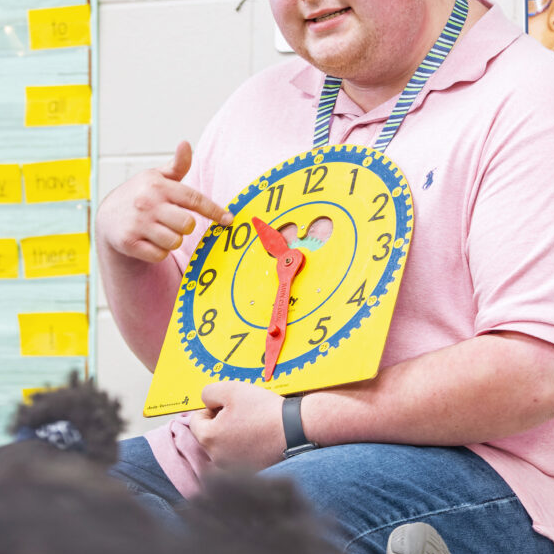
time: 10:30
